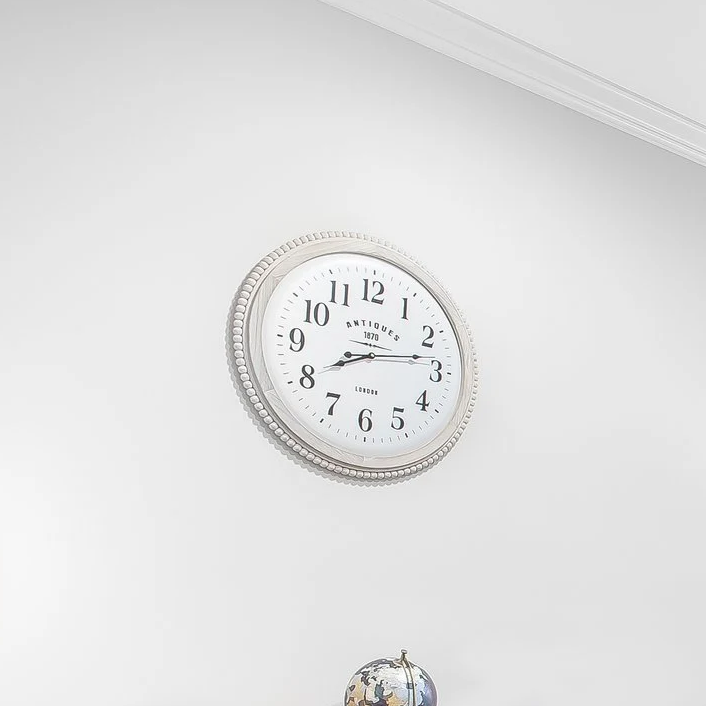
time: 8:13
